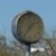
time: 1:36
